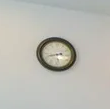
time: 2:42
